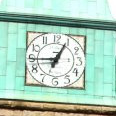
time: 12:44
